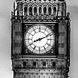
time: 8:11
